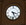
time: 5:17
